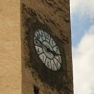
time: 2:48
